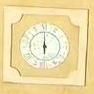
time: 6:00
